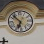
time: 6:52
